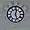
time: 12:26
